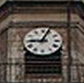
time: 9:03
